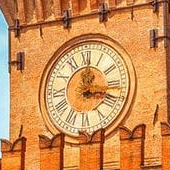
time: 12:17
